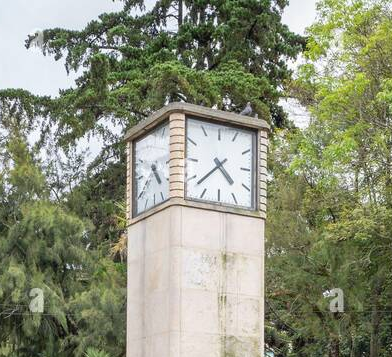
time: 4:37
